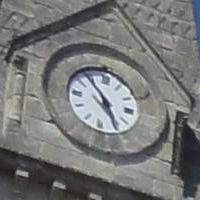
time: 4:53
